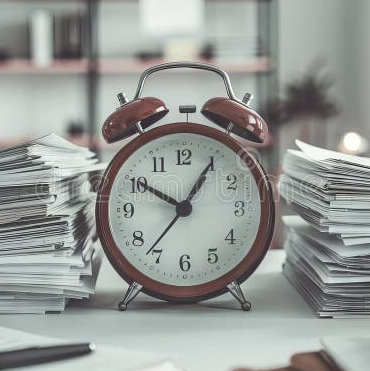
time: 10:05
